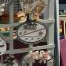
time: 8:11
